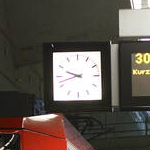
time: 9:42
